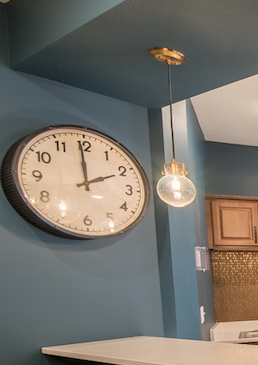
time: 1:59
